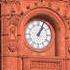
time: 1:04
